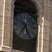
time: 7:25
